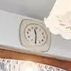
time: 11:30
